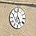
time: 6:58
